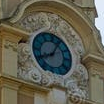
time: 8:05
